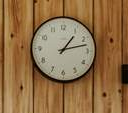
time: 1:12
